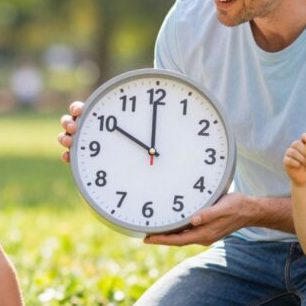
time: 9:59
